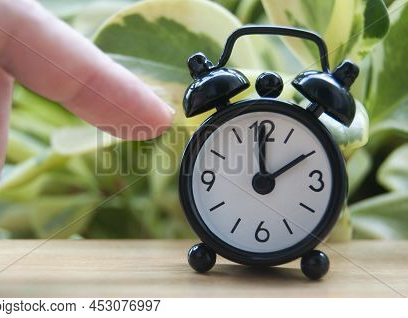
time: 2:00
